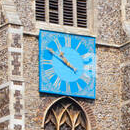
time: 10:50
